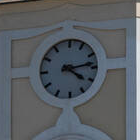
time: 4:13
